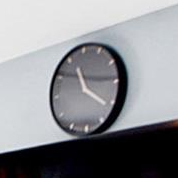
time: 11:21
